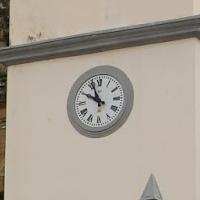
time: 9:56
